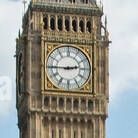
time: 2:45
